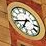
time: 6:41
